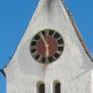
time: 5:54
